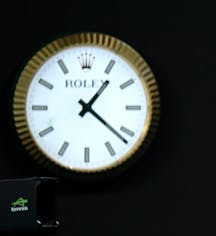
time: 1:21
